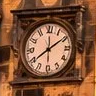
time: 12:09
